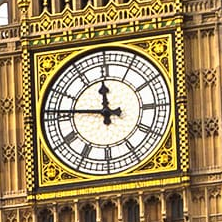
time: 11:46
